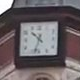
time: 10:33
